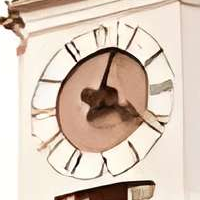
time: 4:03
